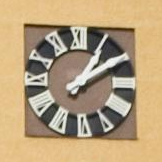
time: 1:09
